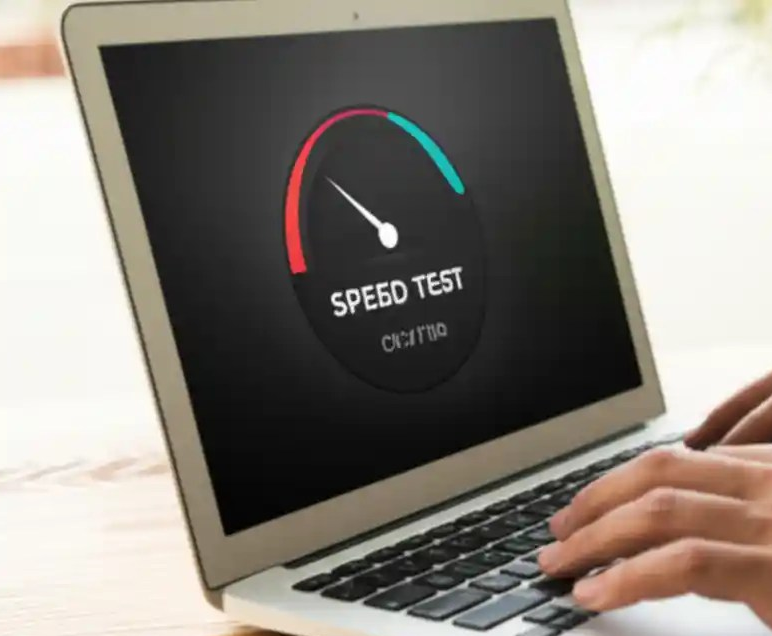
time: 9:50
